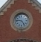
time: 4:46
